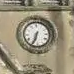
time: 6:34
